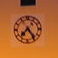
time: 7:24
